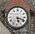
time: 5:18
